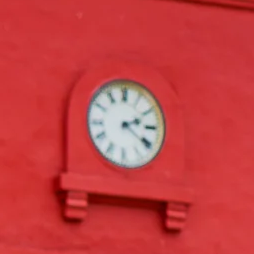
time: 2:21
